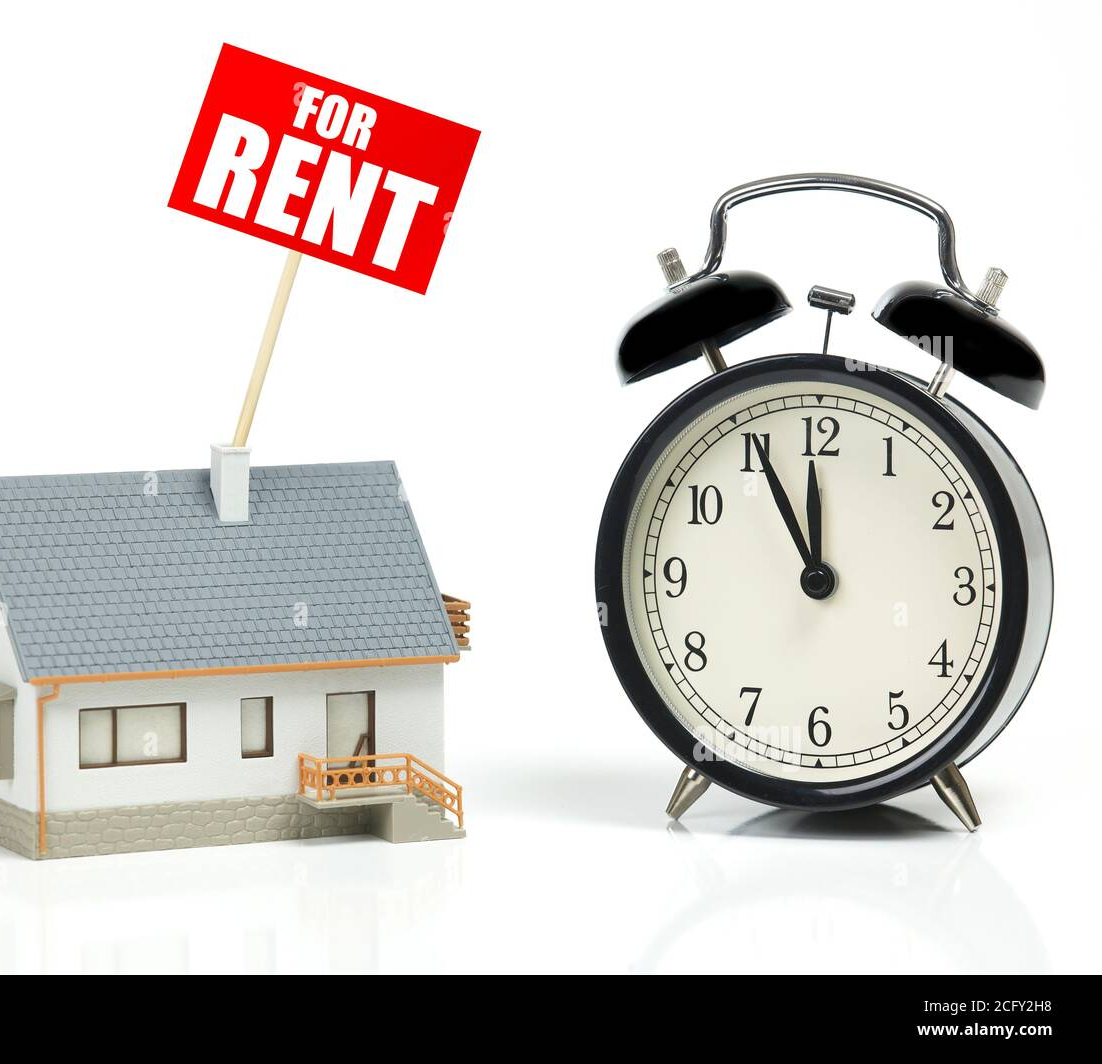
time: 11:55
